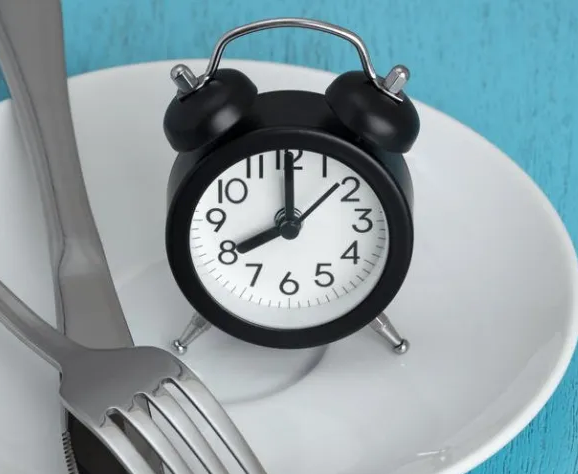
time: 8:00
